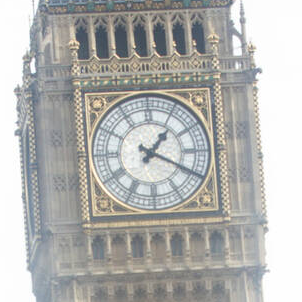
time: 1:19
